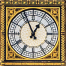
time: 12:56
